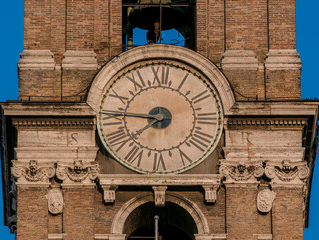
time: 7:45
